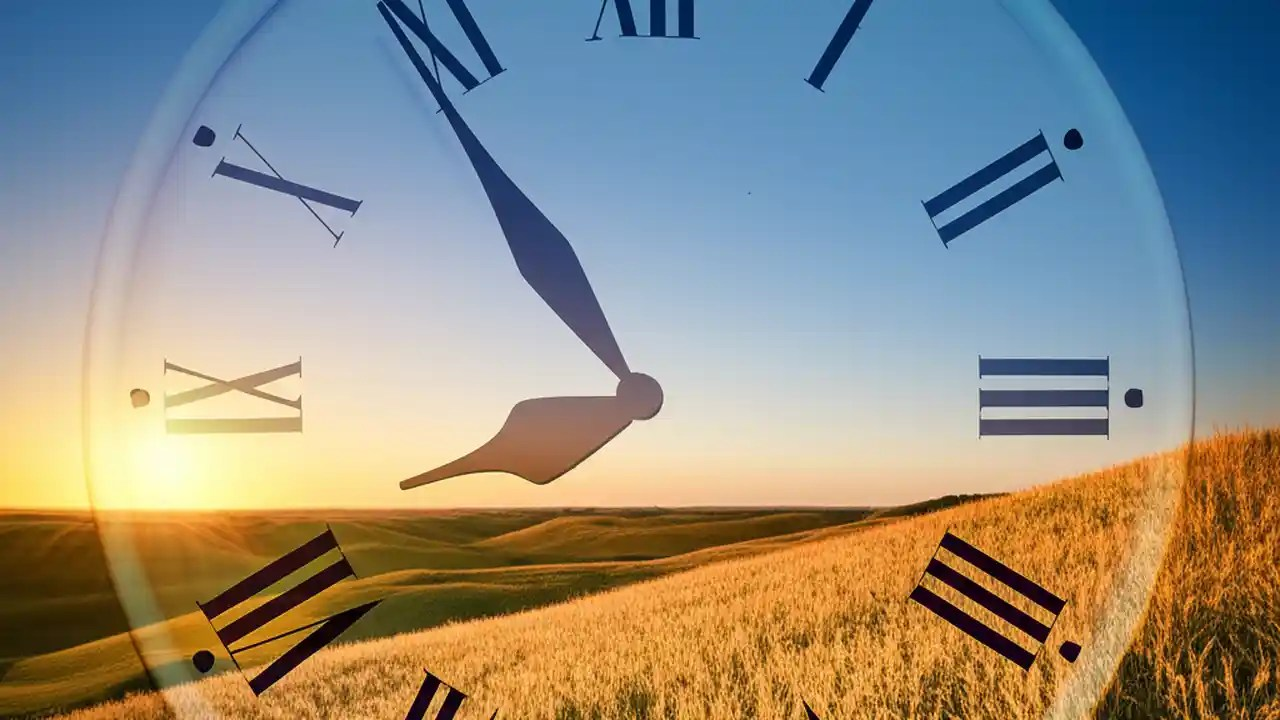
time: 10:54
